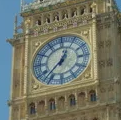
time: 12:37
